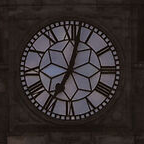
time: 7:02
